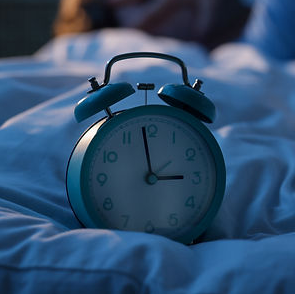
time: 2:58
